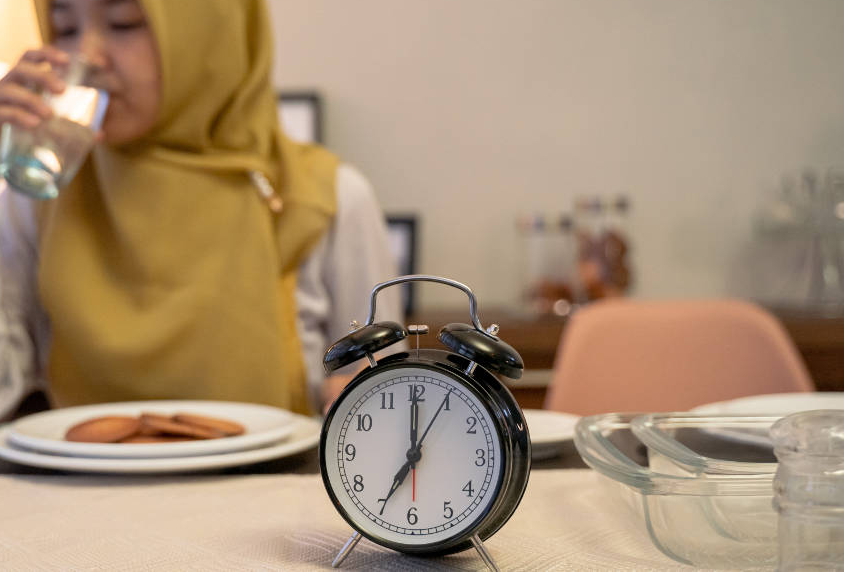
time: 7:00
